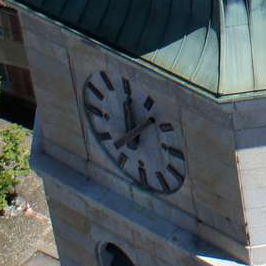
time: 12:07
